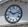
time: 10:12
